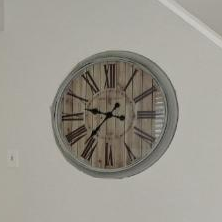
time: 9:36
